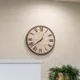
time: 12:38
